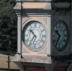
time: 10:35
